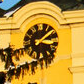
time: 3:08
